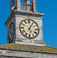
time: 5:05
